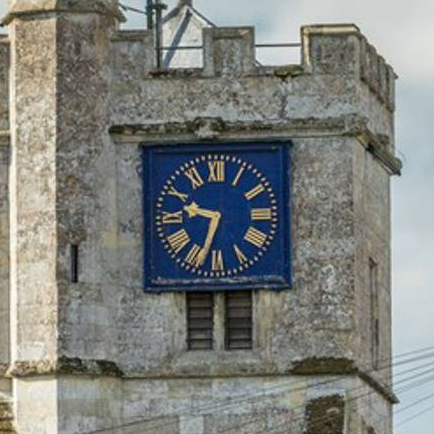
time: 9:33
